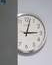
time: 3:02
